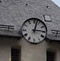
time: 3:02
